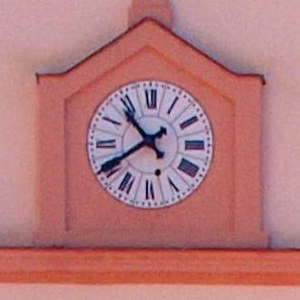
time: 10:39
